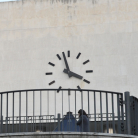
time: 3:57
